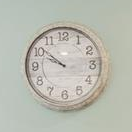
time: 9:51
